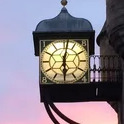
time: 6:01
